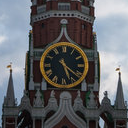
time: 5:21
